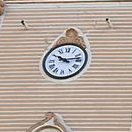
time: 10:13
